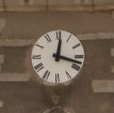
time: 12:17
